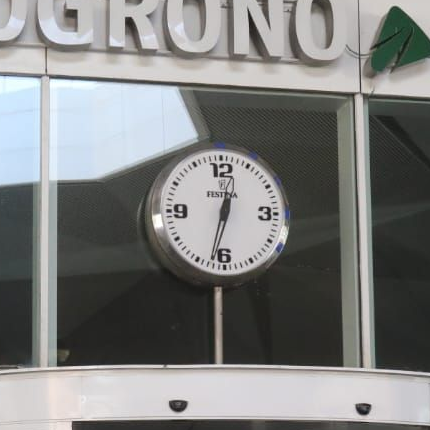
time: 12:32
